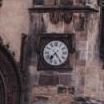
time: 7:24
